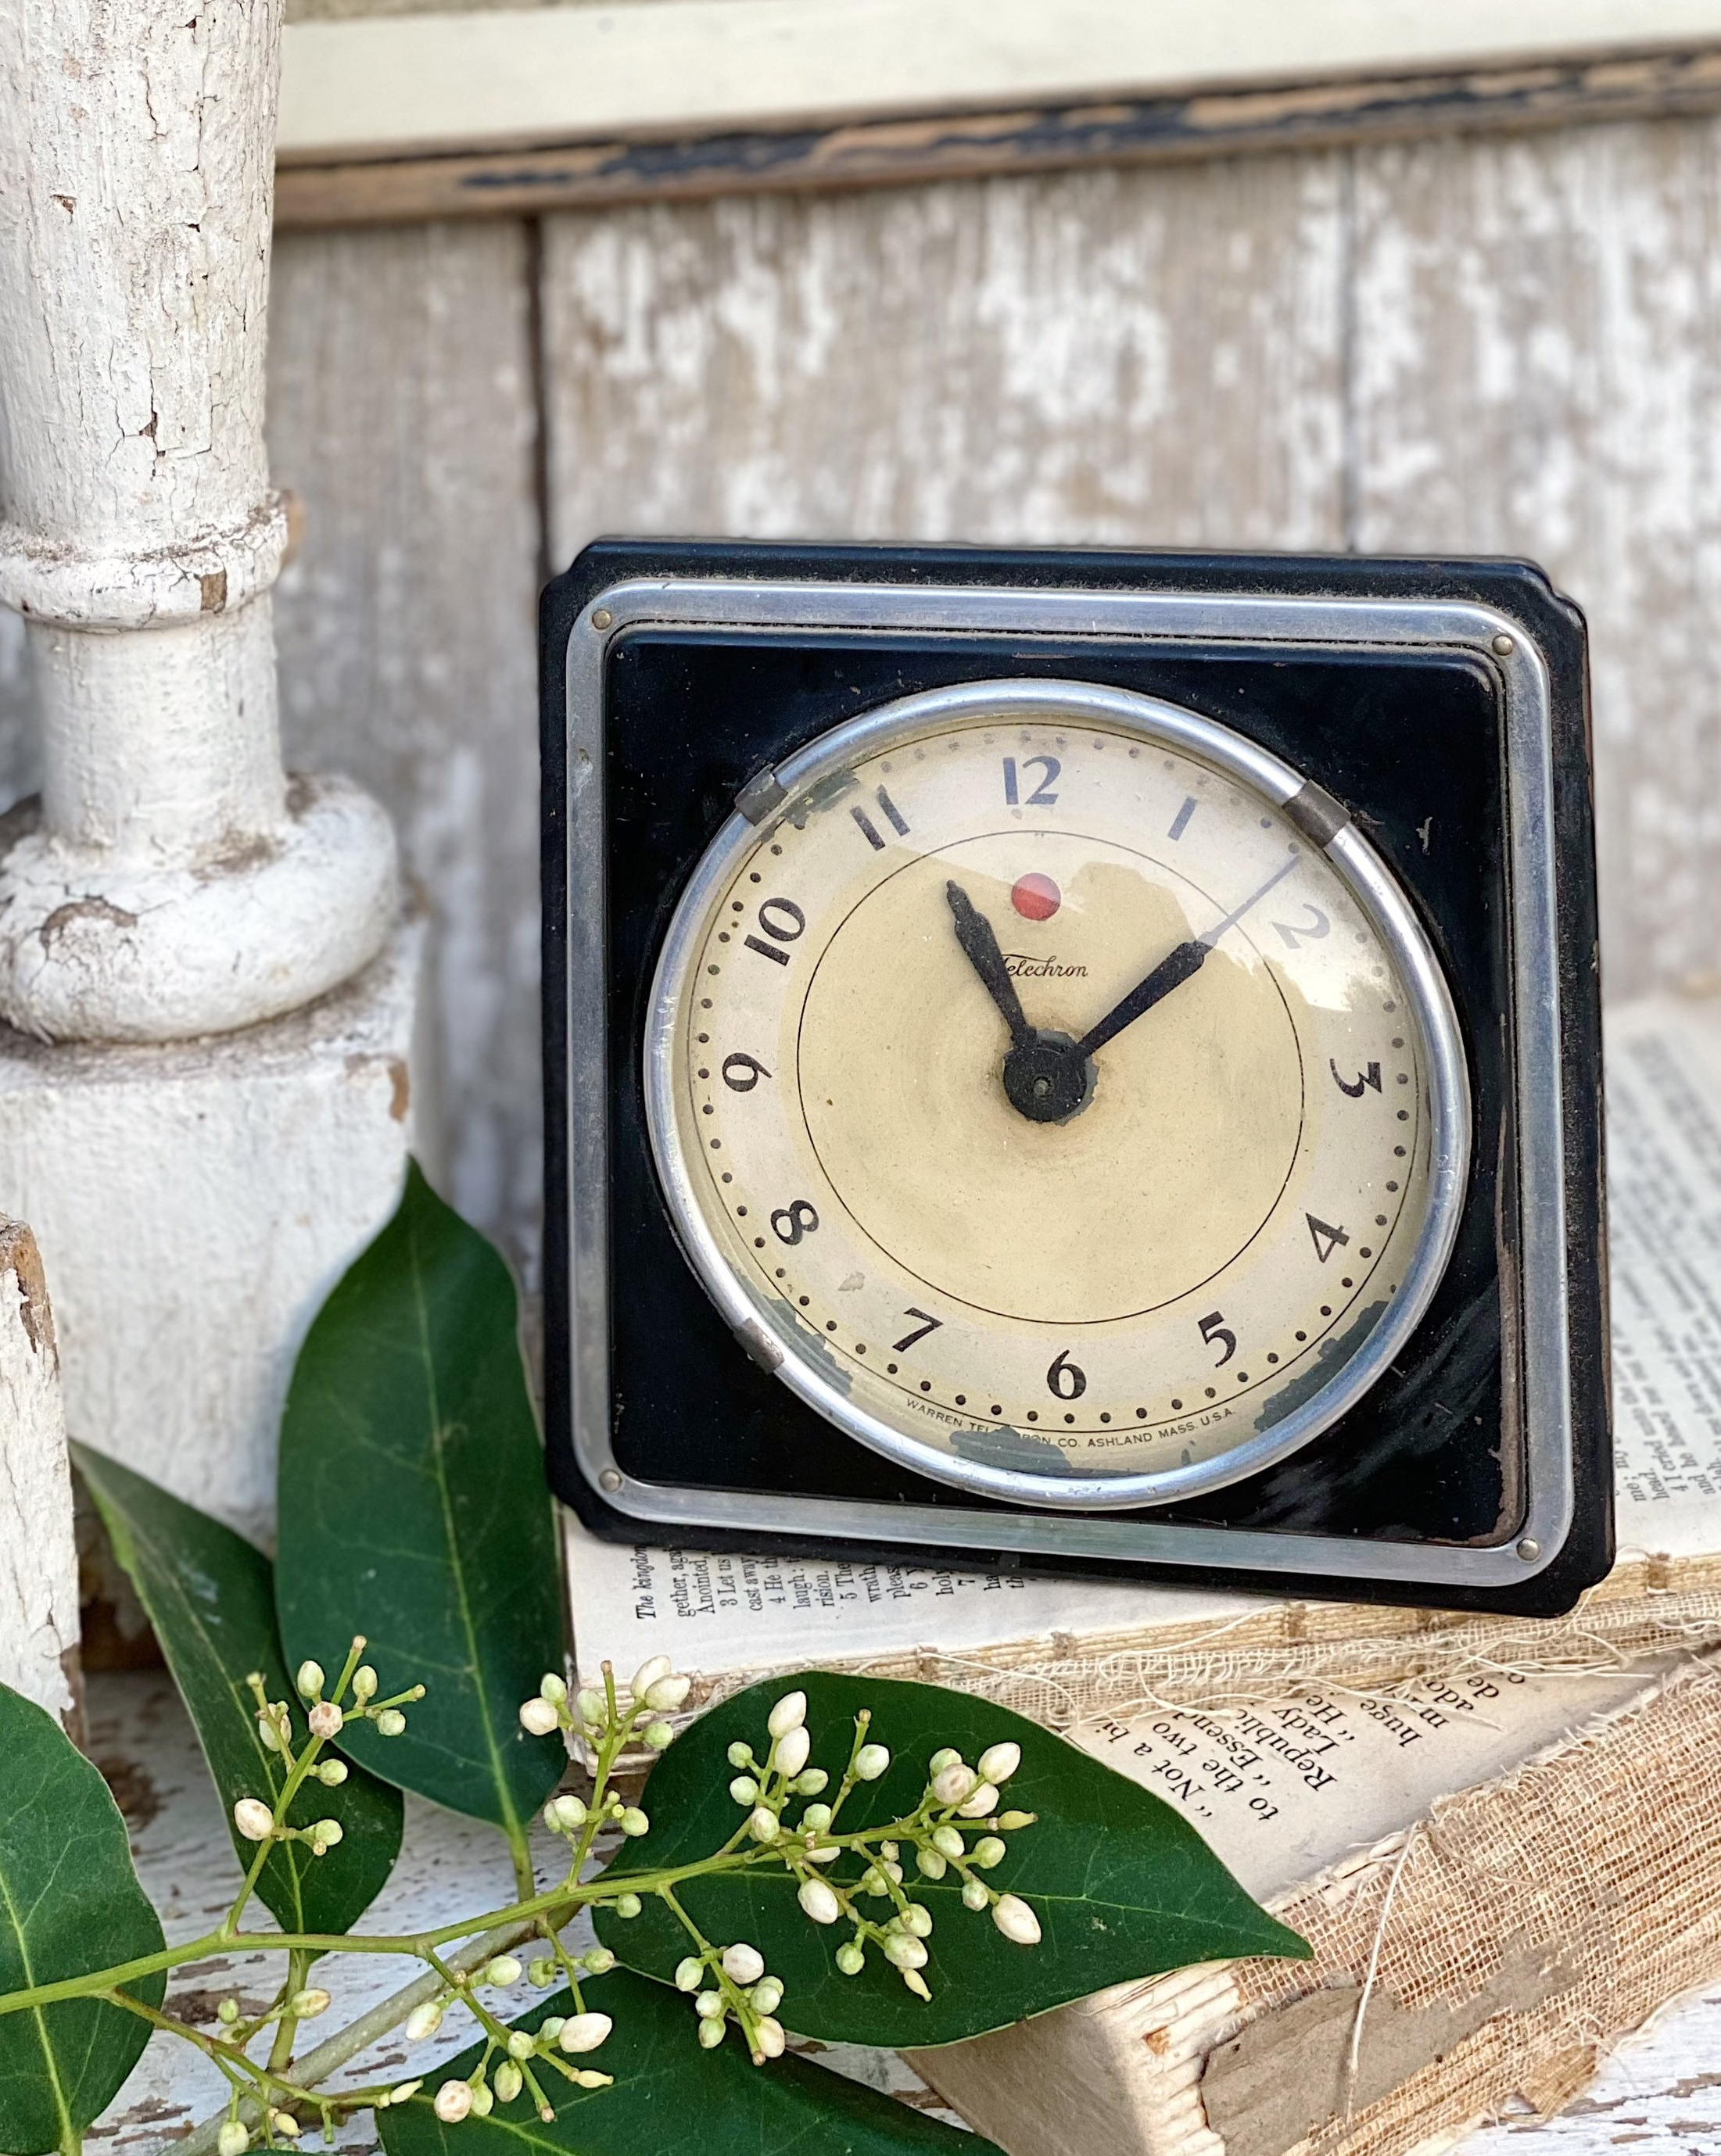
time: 11:08
